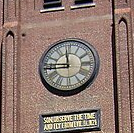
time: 11:44
